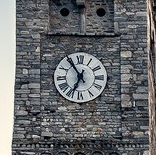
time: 6:54
